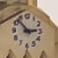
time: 2:52
